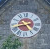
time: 4:42
